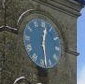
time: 12:28
